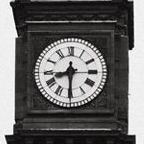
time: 8:30
